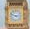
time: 2:48
